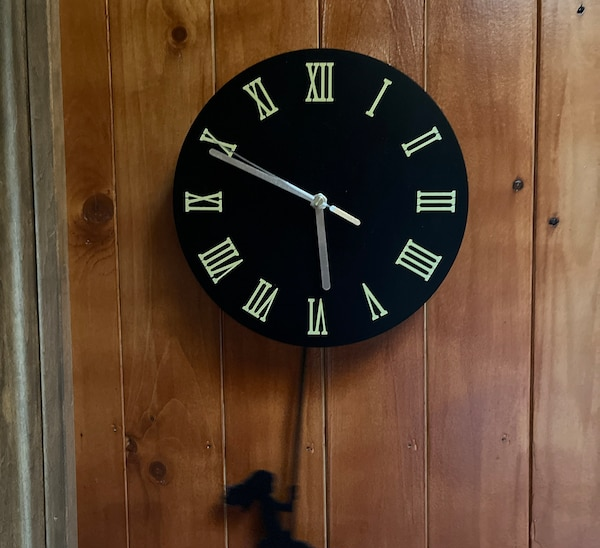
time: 5:49
